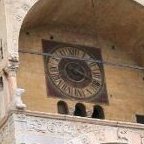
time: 1:18
